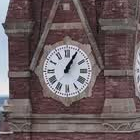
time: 1:05
